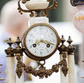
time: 8:17
